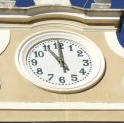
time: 11:00
